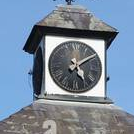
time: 5:09
